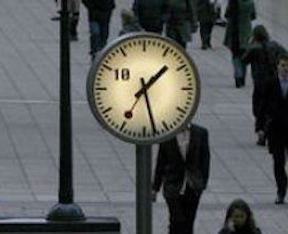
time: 1:27
